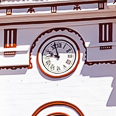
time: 9:57
